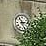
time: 2:53
